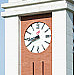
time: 8:39
